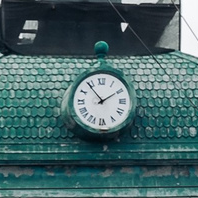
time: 1:53
